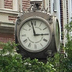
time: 2:57
